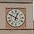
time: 12:49
